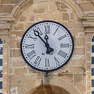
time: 11:53
